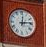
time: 12:13
